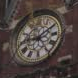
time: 9:09
